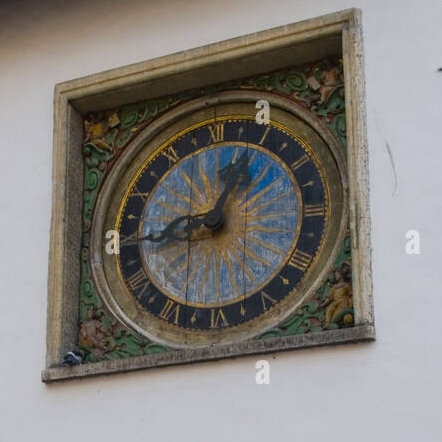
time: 12:43
